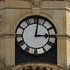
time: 3:01
